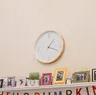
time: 1:18
